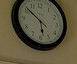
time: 5:51
